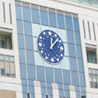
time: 12:06
